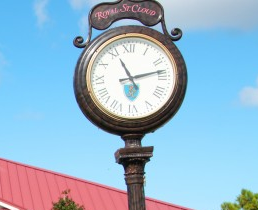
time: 11:13
